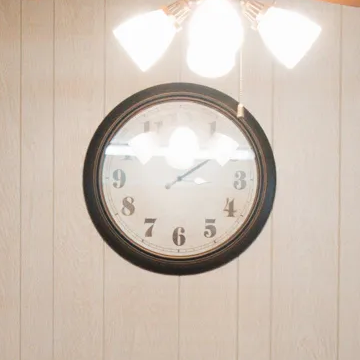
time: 2:09
